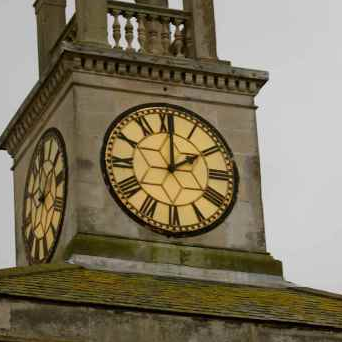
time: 2:00
